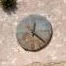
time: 12:21
